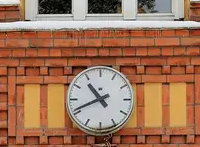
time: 10:41
